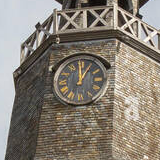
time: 1:00
